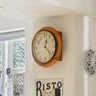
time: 12:22
